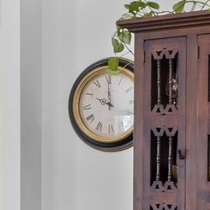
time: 10:00
